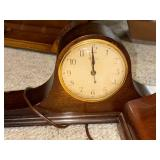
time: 11:59
